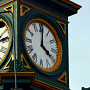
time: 4:00
